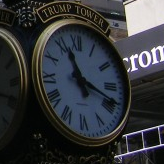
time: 11:18
